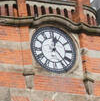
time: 12:23
